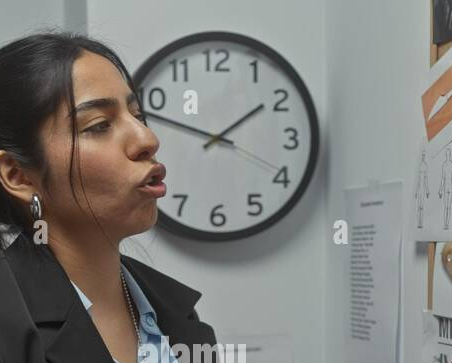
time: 1:48
